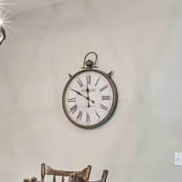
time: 11:49
